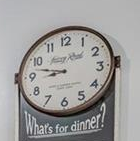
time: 8:47
